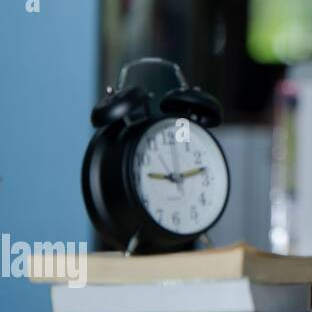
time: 9:12
